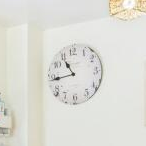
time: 10:44
